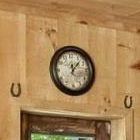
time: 12:07
